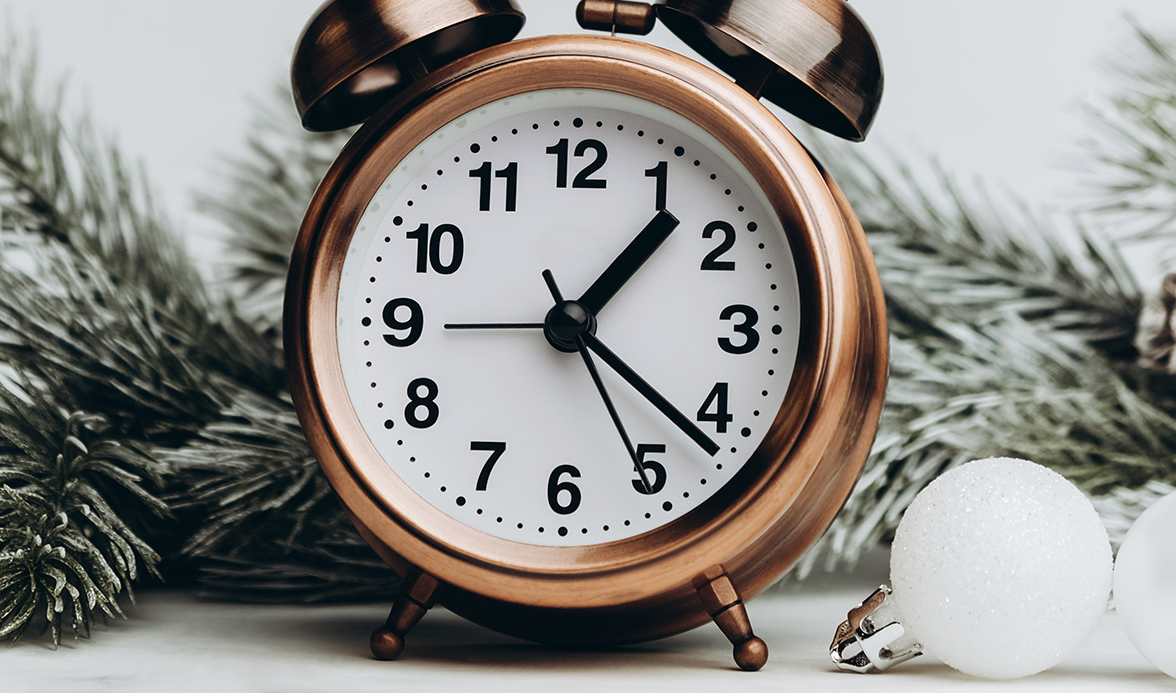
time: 1:21
